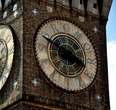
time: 3:48
